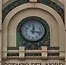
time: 12:16
